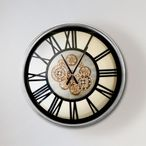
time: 11:05
